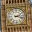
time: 2:18
